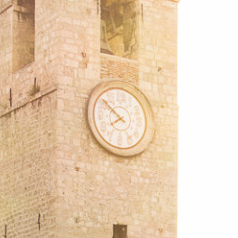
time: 7:52
